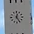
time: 12:24
